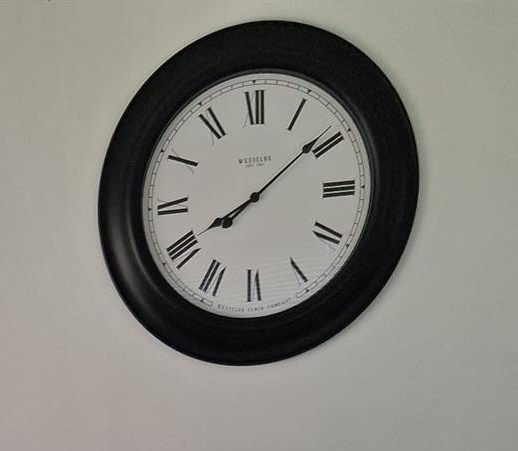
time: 8:08
